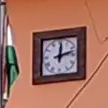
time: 12:12
